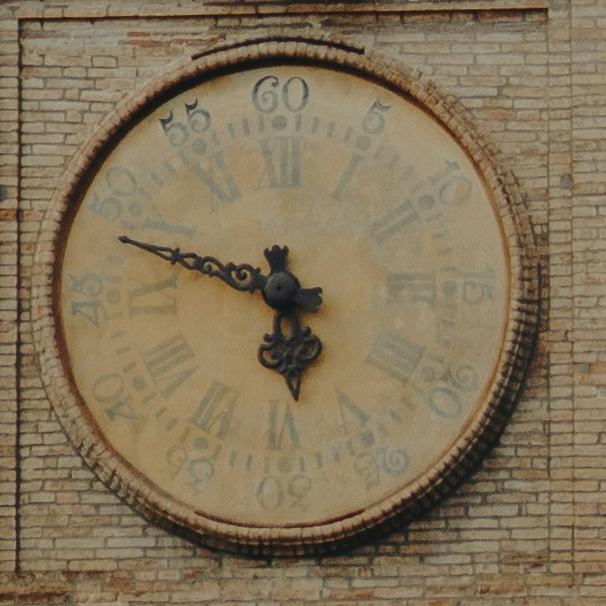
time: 5:48
